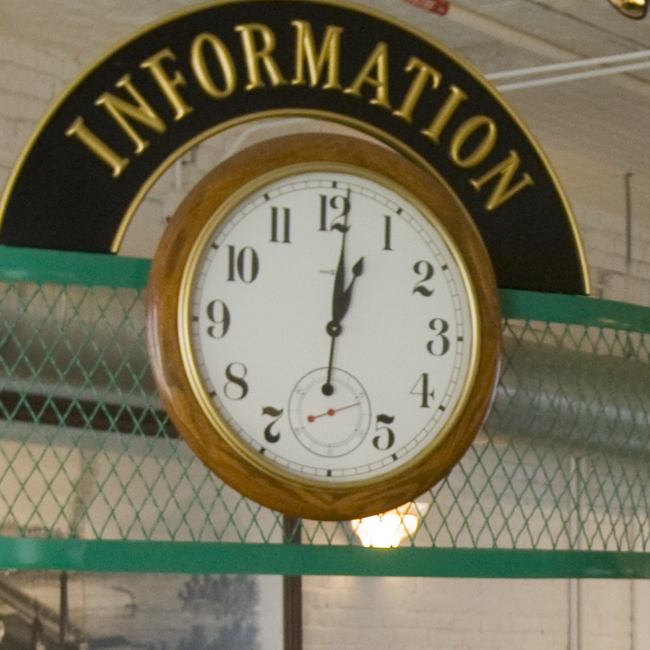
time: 1:01
